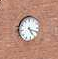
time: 5:18
